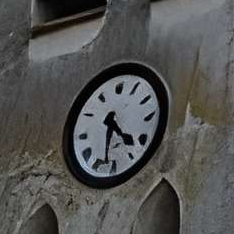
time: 4:31
